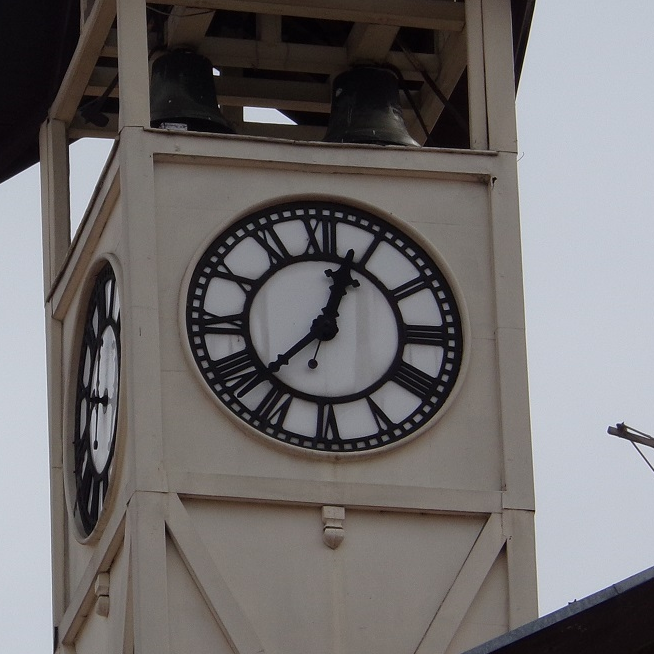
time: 12:38
